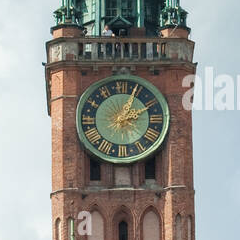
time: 2:04
